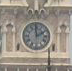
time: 1:59
